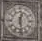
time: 12:28
